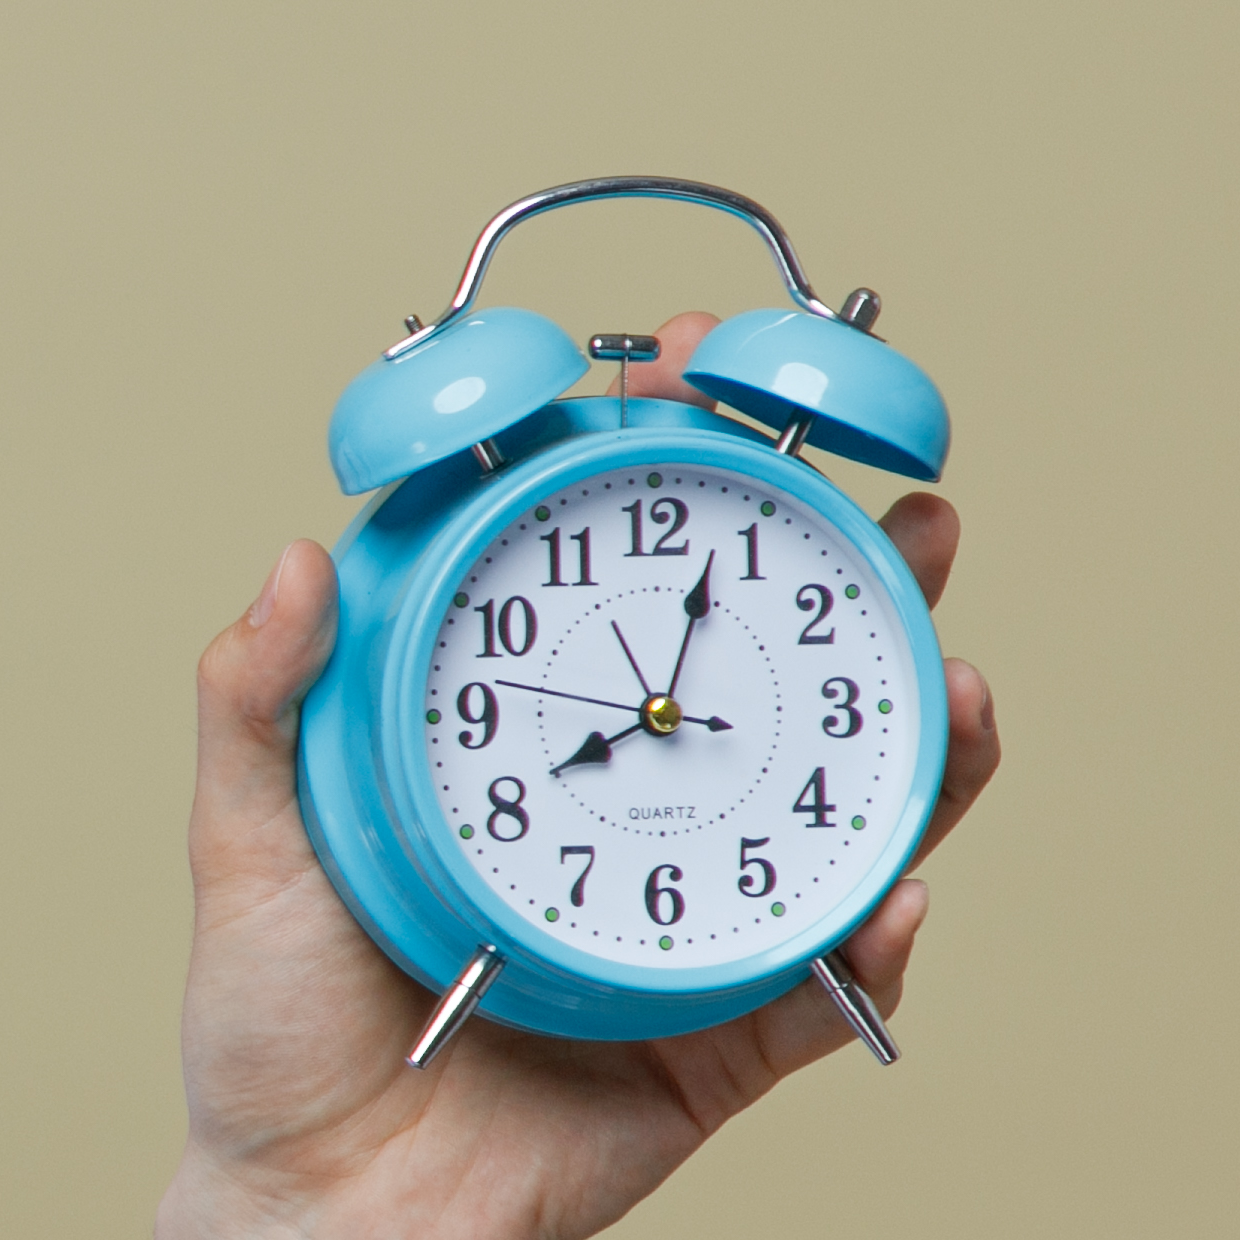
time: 8:03
